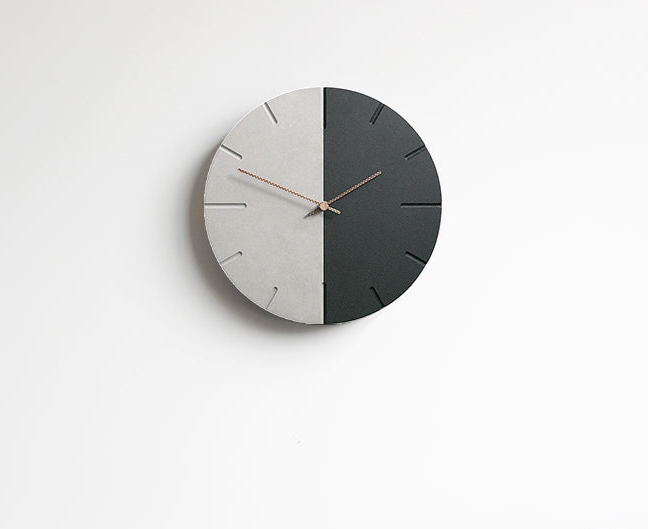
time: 1:59
